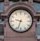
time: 9:33
